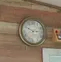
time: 2:49
